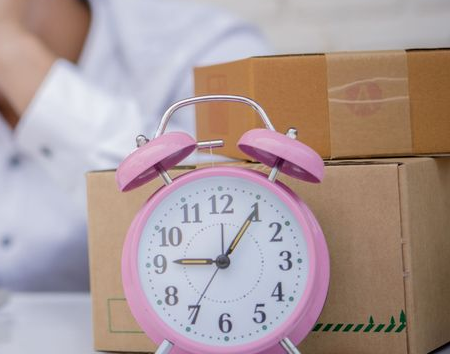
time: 9:05
